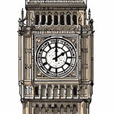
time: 2:00
